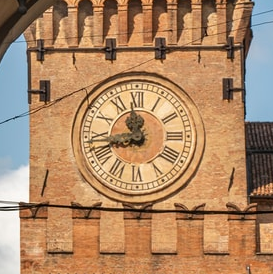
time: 11:42
